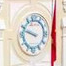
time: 9:48
